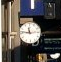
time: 11:46
